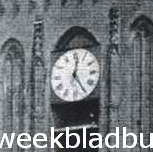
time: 12:24
